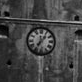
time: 7:07
